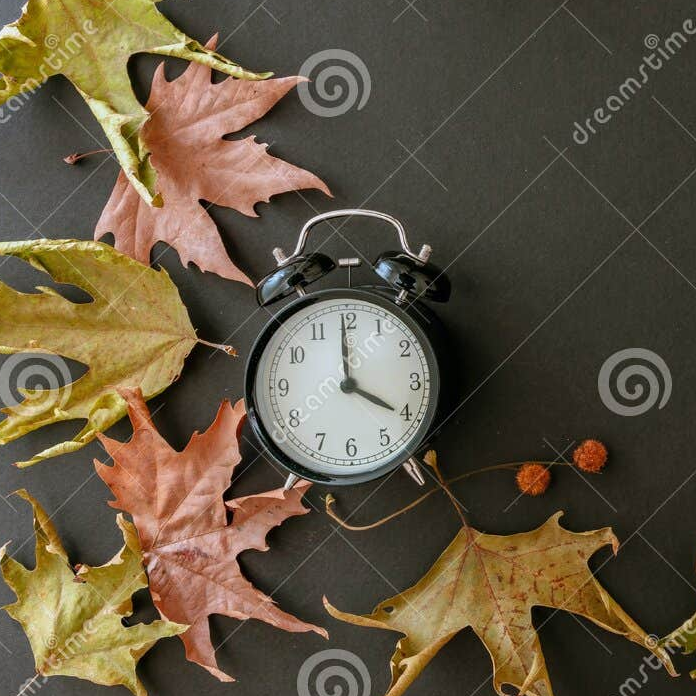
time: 3:59
